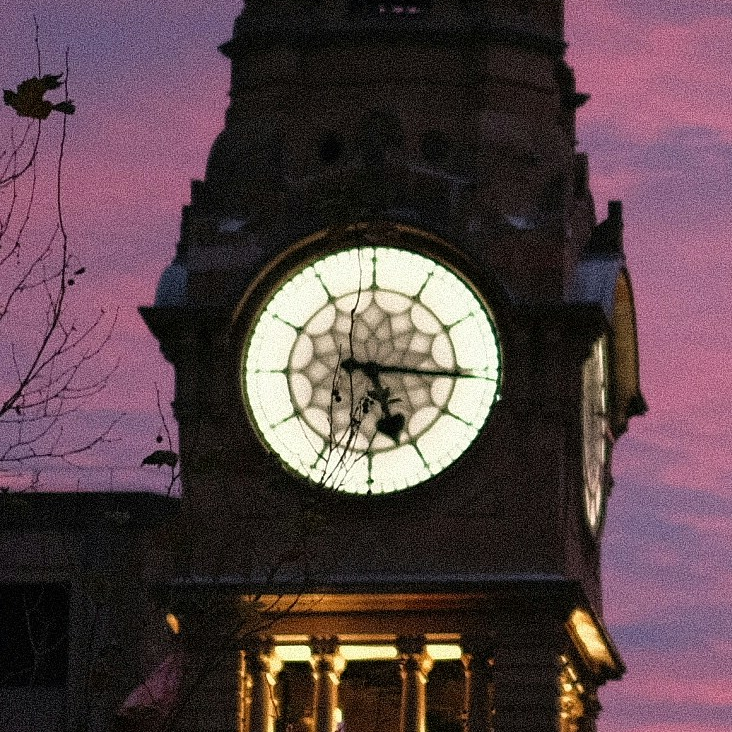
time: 5:15
